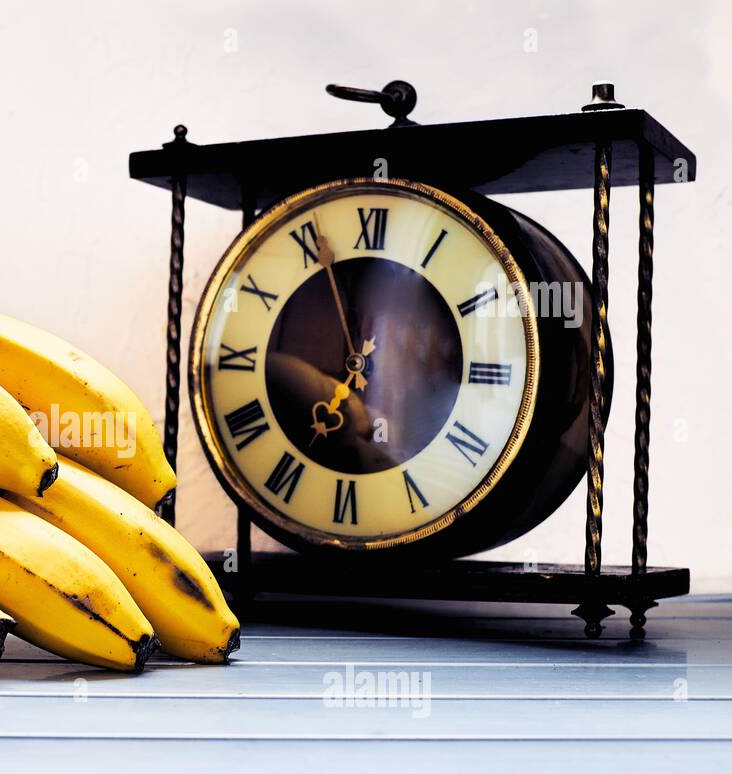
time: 6:56
